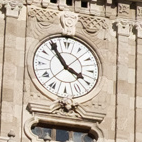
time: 3:54
